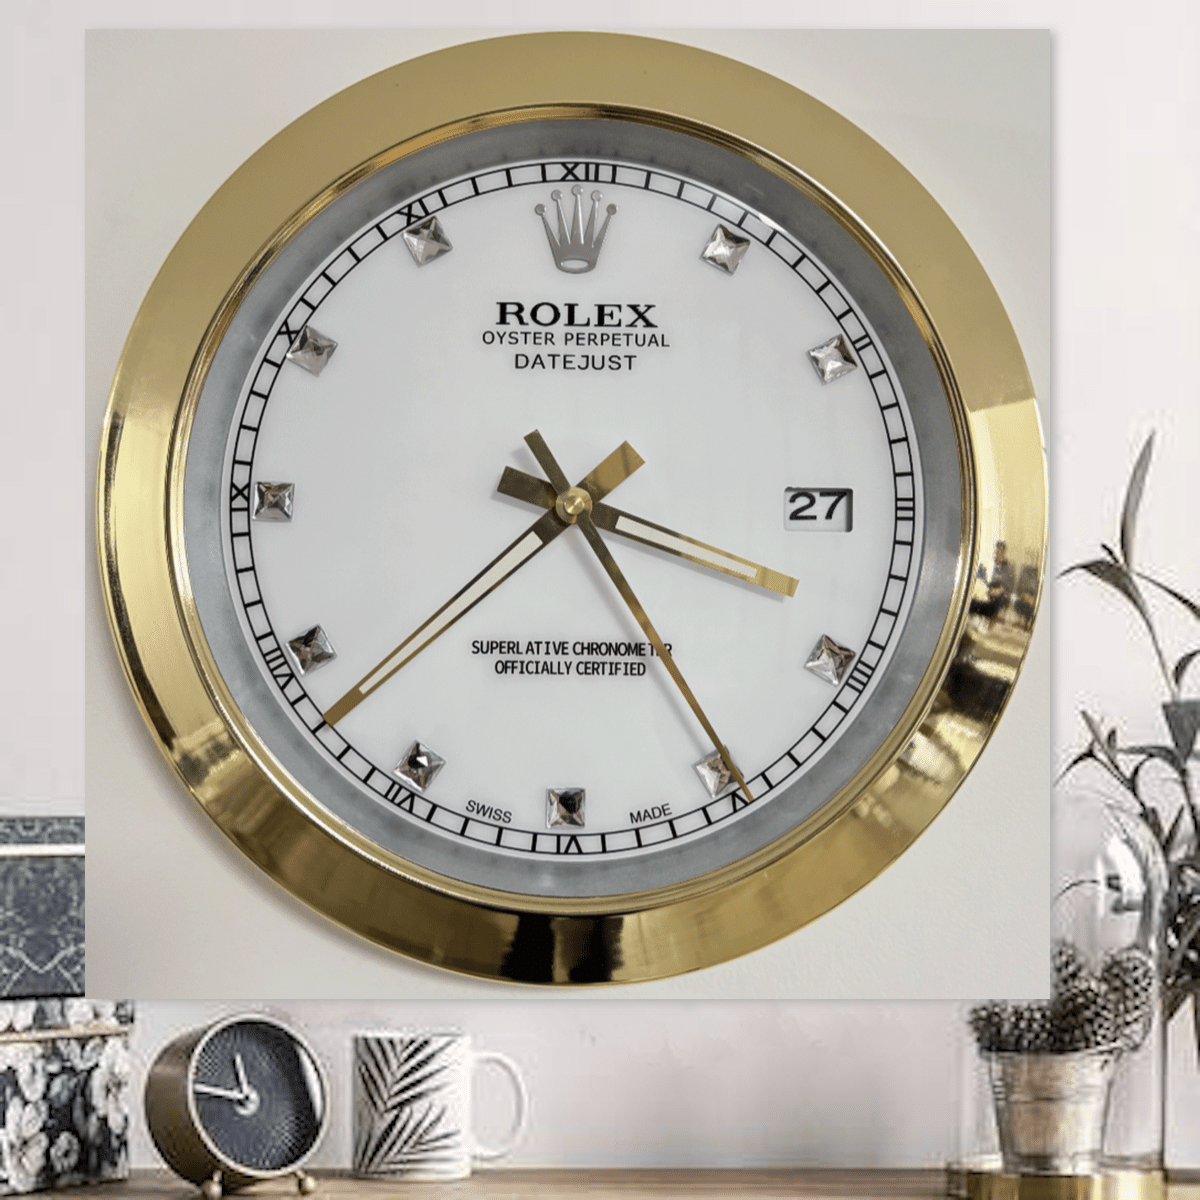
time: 3:37
